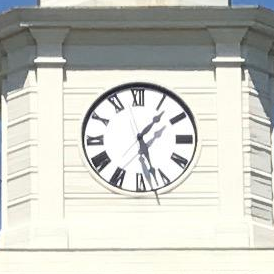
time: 1:26
